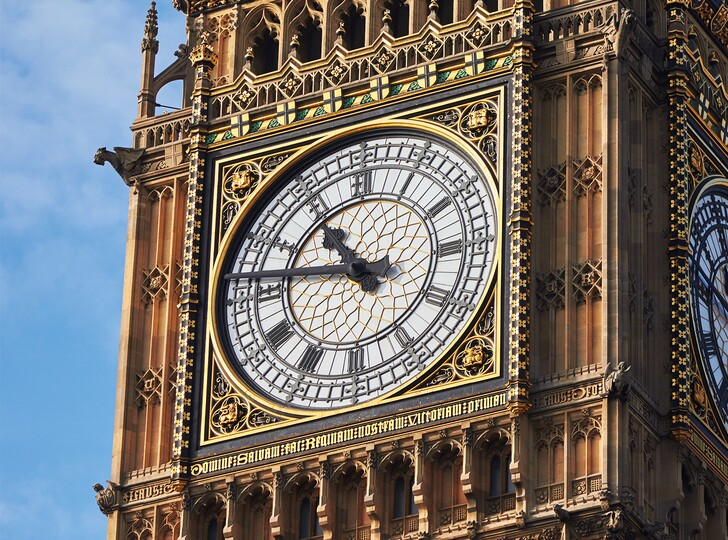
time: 10:46
